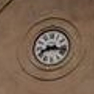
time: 8:17
